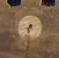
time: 7:32
